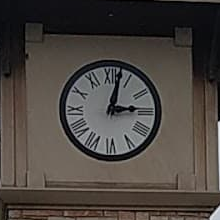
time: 3:02
